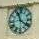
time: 11:21
